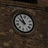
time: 9:54
